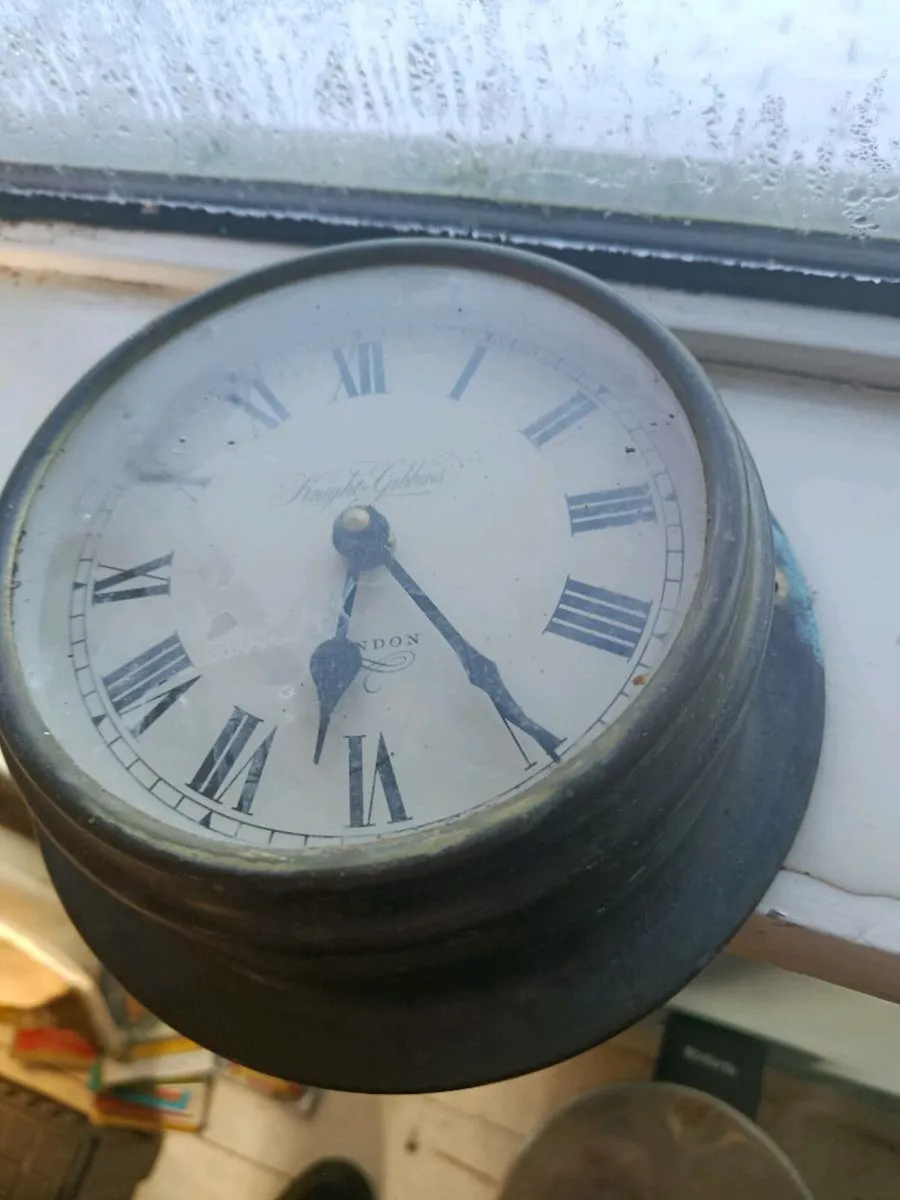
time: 6:24
